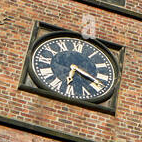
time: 6:18
